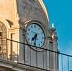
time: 7:32
